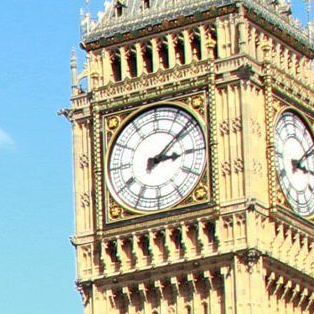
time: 3:09
